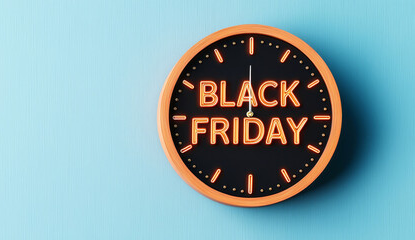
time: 2:45
